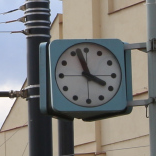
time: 3:57
